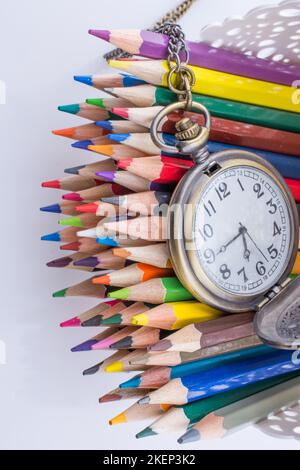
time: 5:40
